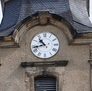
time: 10:42
